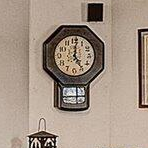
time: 5:01
